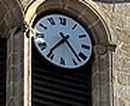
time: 7:23
